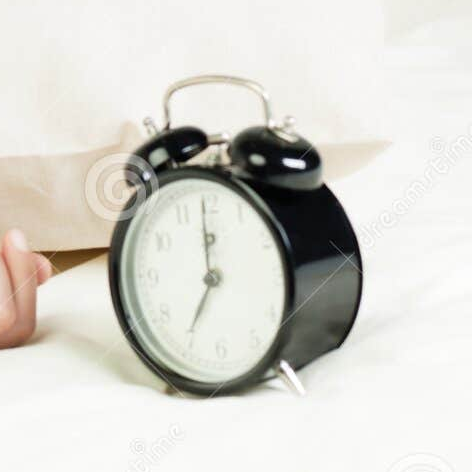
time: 6:59
